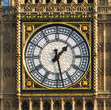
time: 1:28
